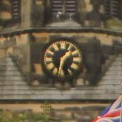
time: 1:32
